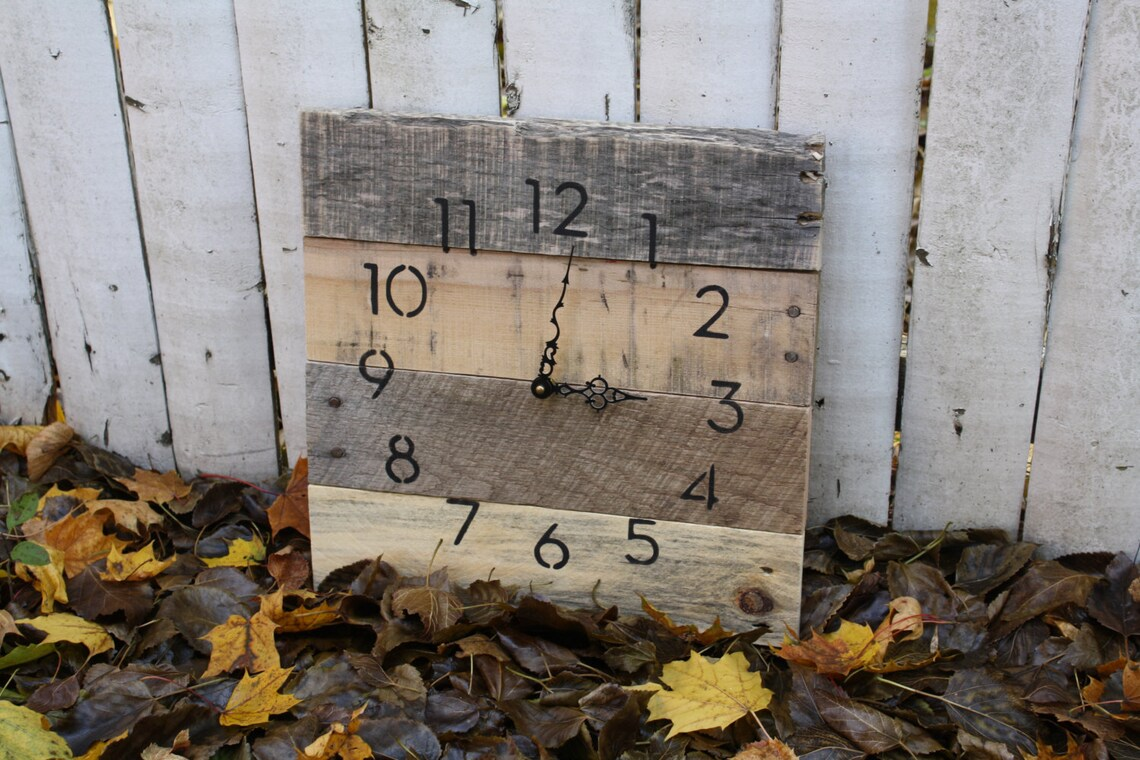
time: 3:01
